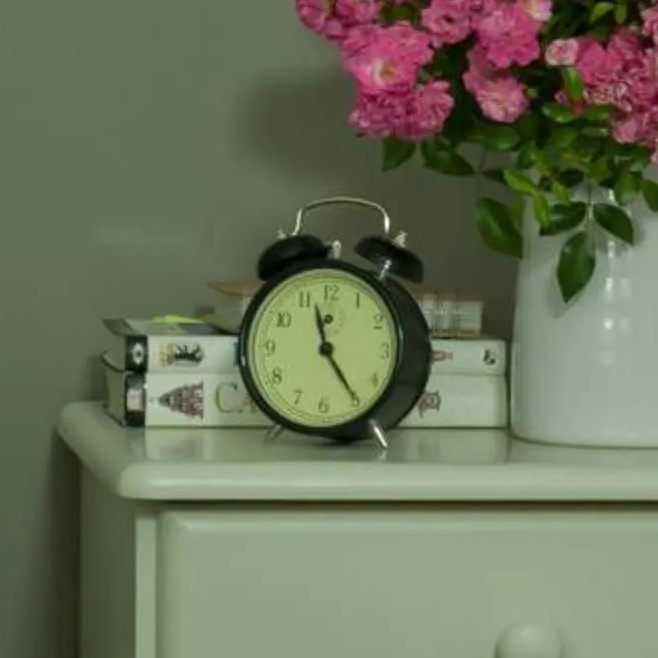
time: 11:24
